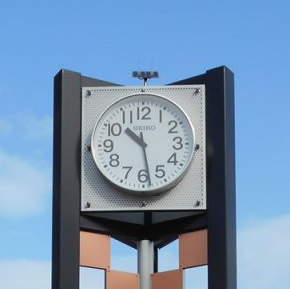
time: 10:28
